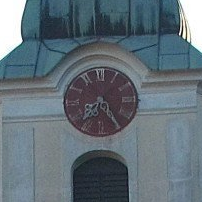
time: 7:24
